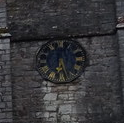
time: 6:27
